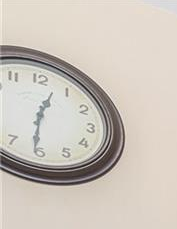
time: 12:30
